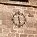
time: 11:28
